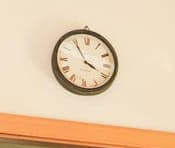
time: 3:54
